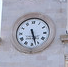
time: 5:27
